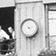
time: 4:12
